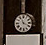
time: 11:19
